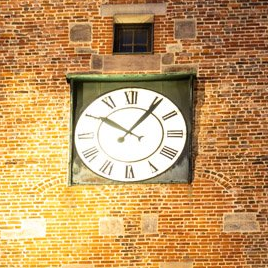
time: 10:06
